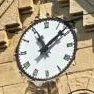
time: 11:08
